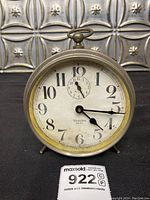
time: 4:15
